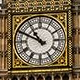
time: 10:49
